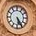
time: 5:24
